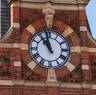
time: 10:58
